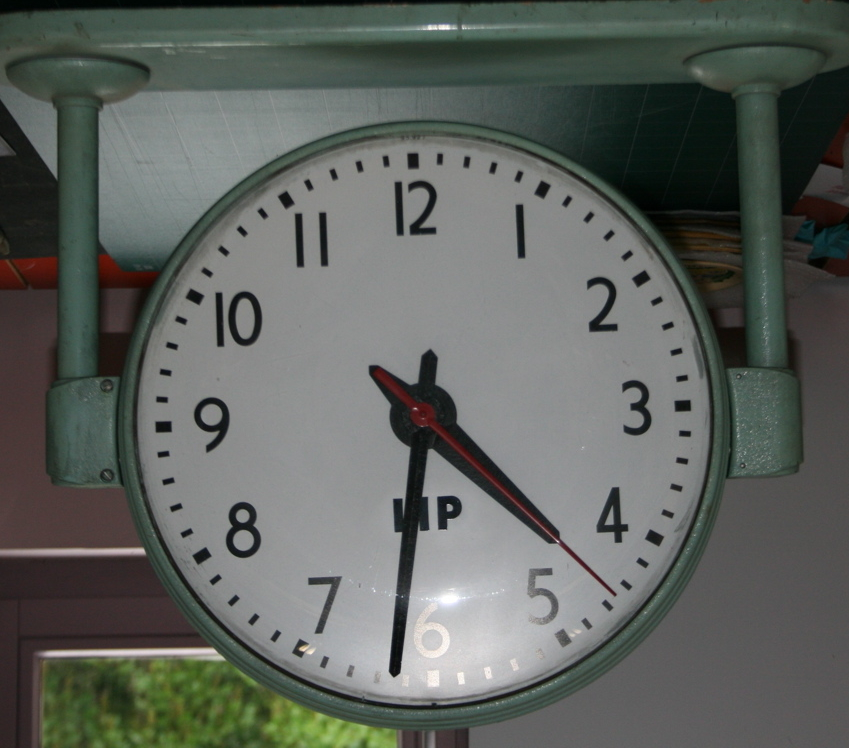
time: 4:31
